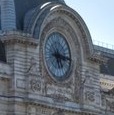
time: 5:15
